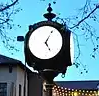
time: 5:05
